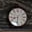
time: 8:32
